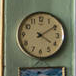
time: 4:09
